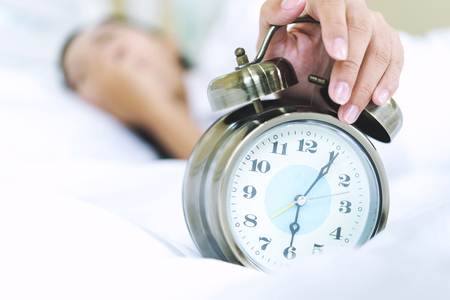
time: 6:05
